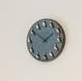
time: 1:50
